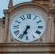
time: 6:33
